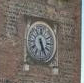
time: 5:26
